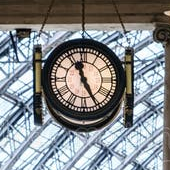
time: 11:25
